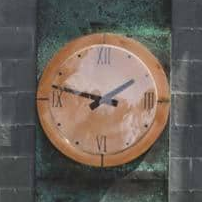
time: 1:47
